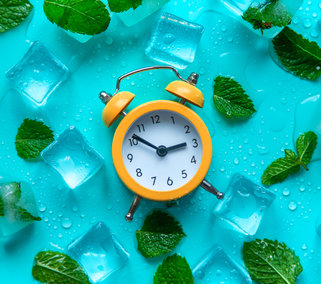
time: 2:51
